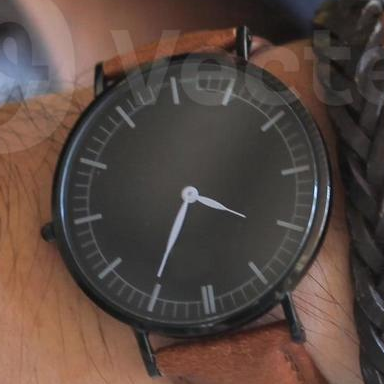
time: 3:30
